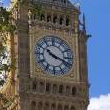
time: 10:18
